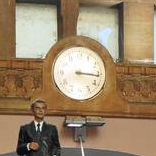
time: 3:16
